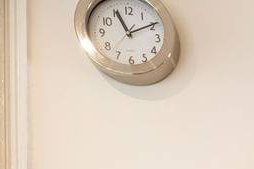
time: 11:10
